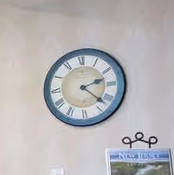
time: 2:22
